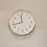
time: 11:42
